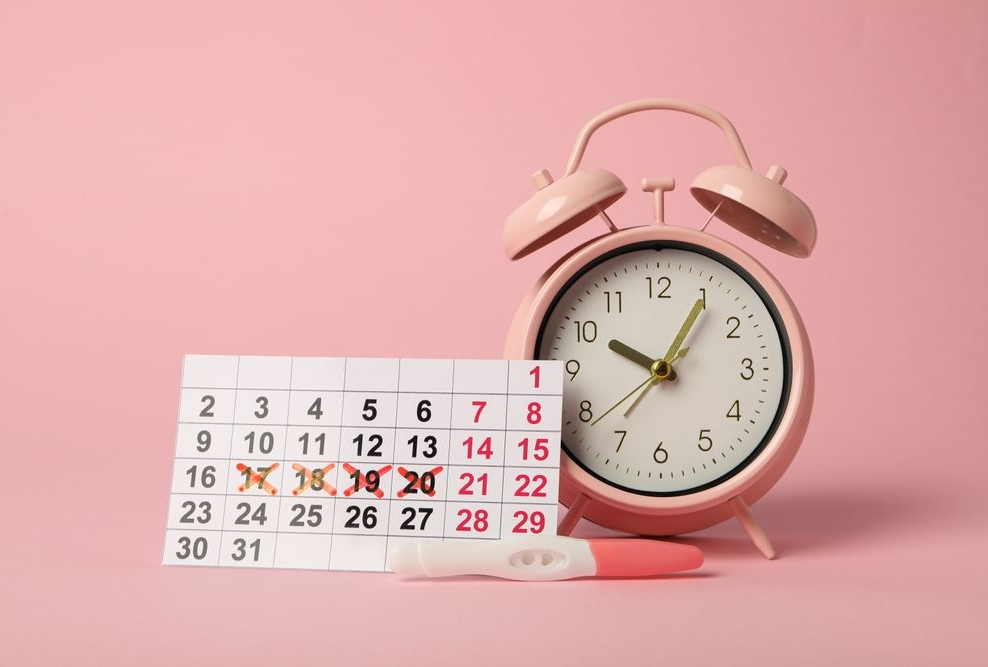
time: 10:05
